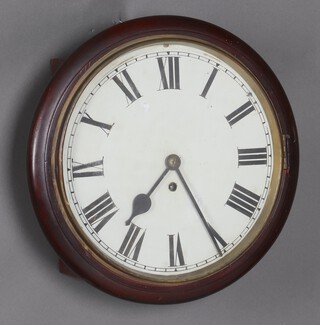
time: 7:25
